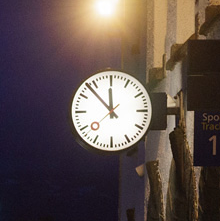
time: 11:52
